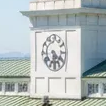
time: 6:20
